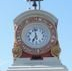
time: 6:58
